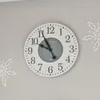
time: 9:55
